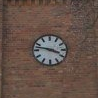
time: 3:47
